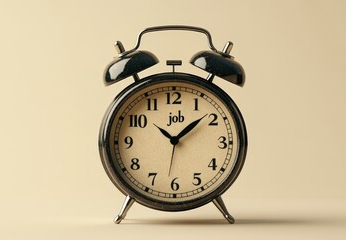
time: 10:08
